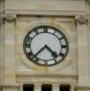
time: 4:37
